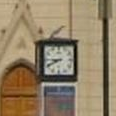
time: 8:40
